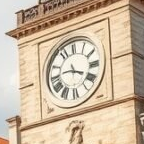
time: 3:45
